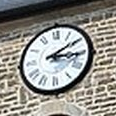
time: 3:09
